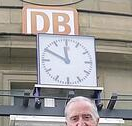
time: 11:49
